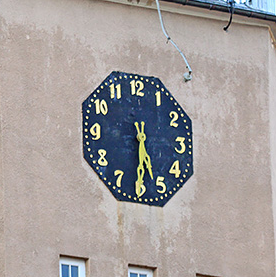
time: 5:30
